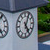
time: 5:04
